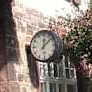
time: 12:07
